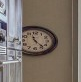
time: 11:23
